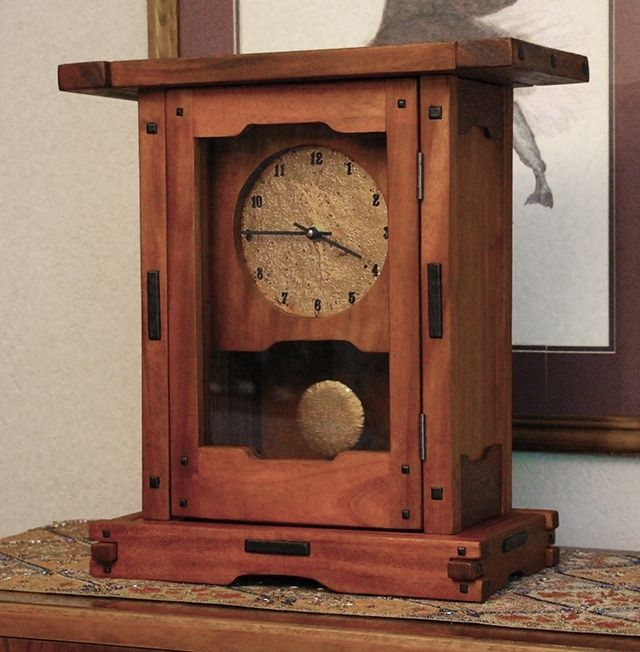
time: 3:46
